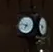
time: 6:47
